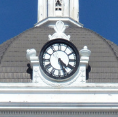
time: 4:26
